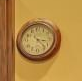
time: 3:22
